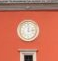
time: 12:13
